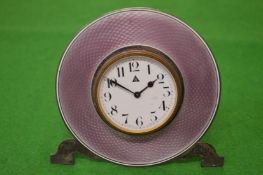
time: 1:50
